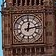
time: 12:13
